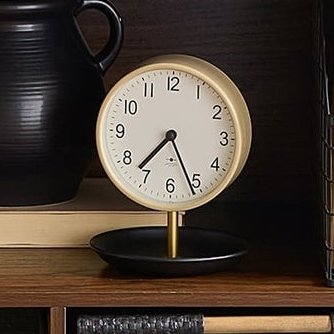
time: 7:26
